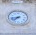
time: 7:43
